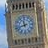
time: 11:42
